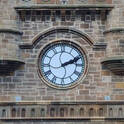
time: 2:11
